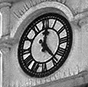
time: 12:22
